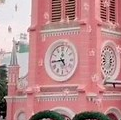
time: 4:44
